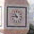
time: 10:45
